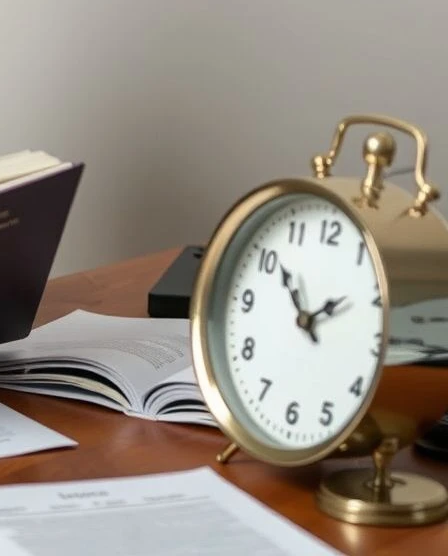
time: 1:51
